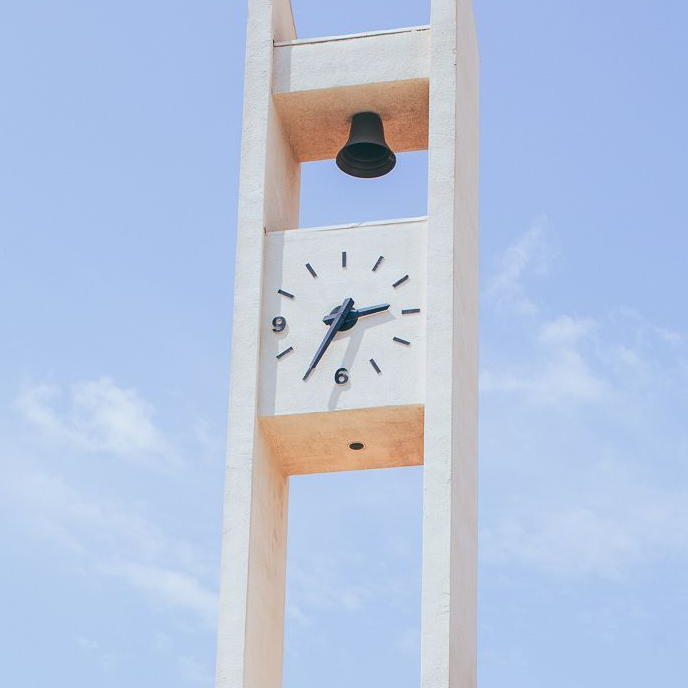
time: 2:35
